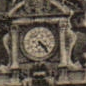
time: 4:23
